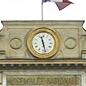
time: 11:27
